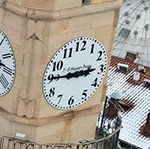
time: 2:45
